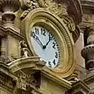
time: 10:06
